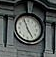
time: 4:56
